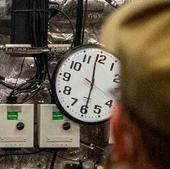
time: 5:58
